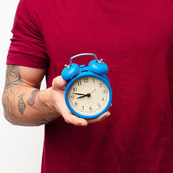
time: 8:47
